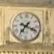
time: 7:18
